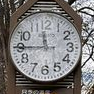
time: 11:45
